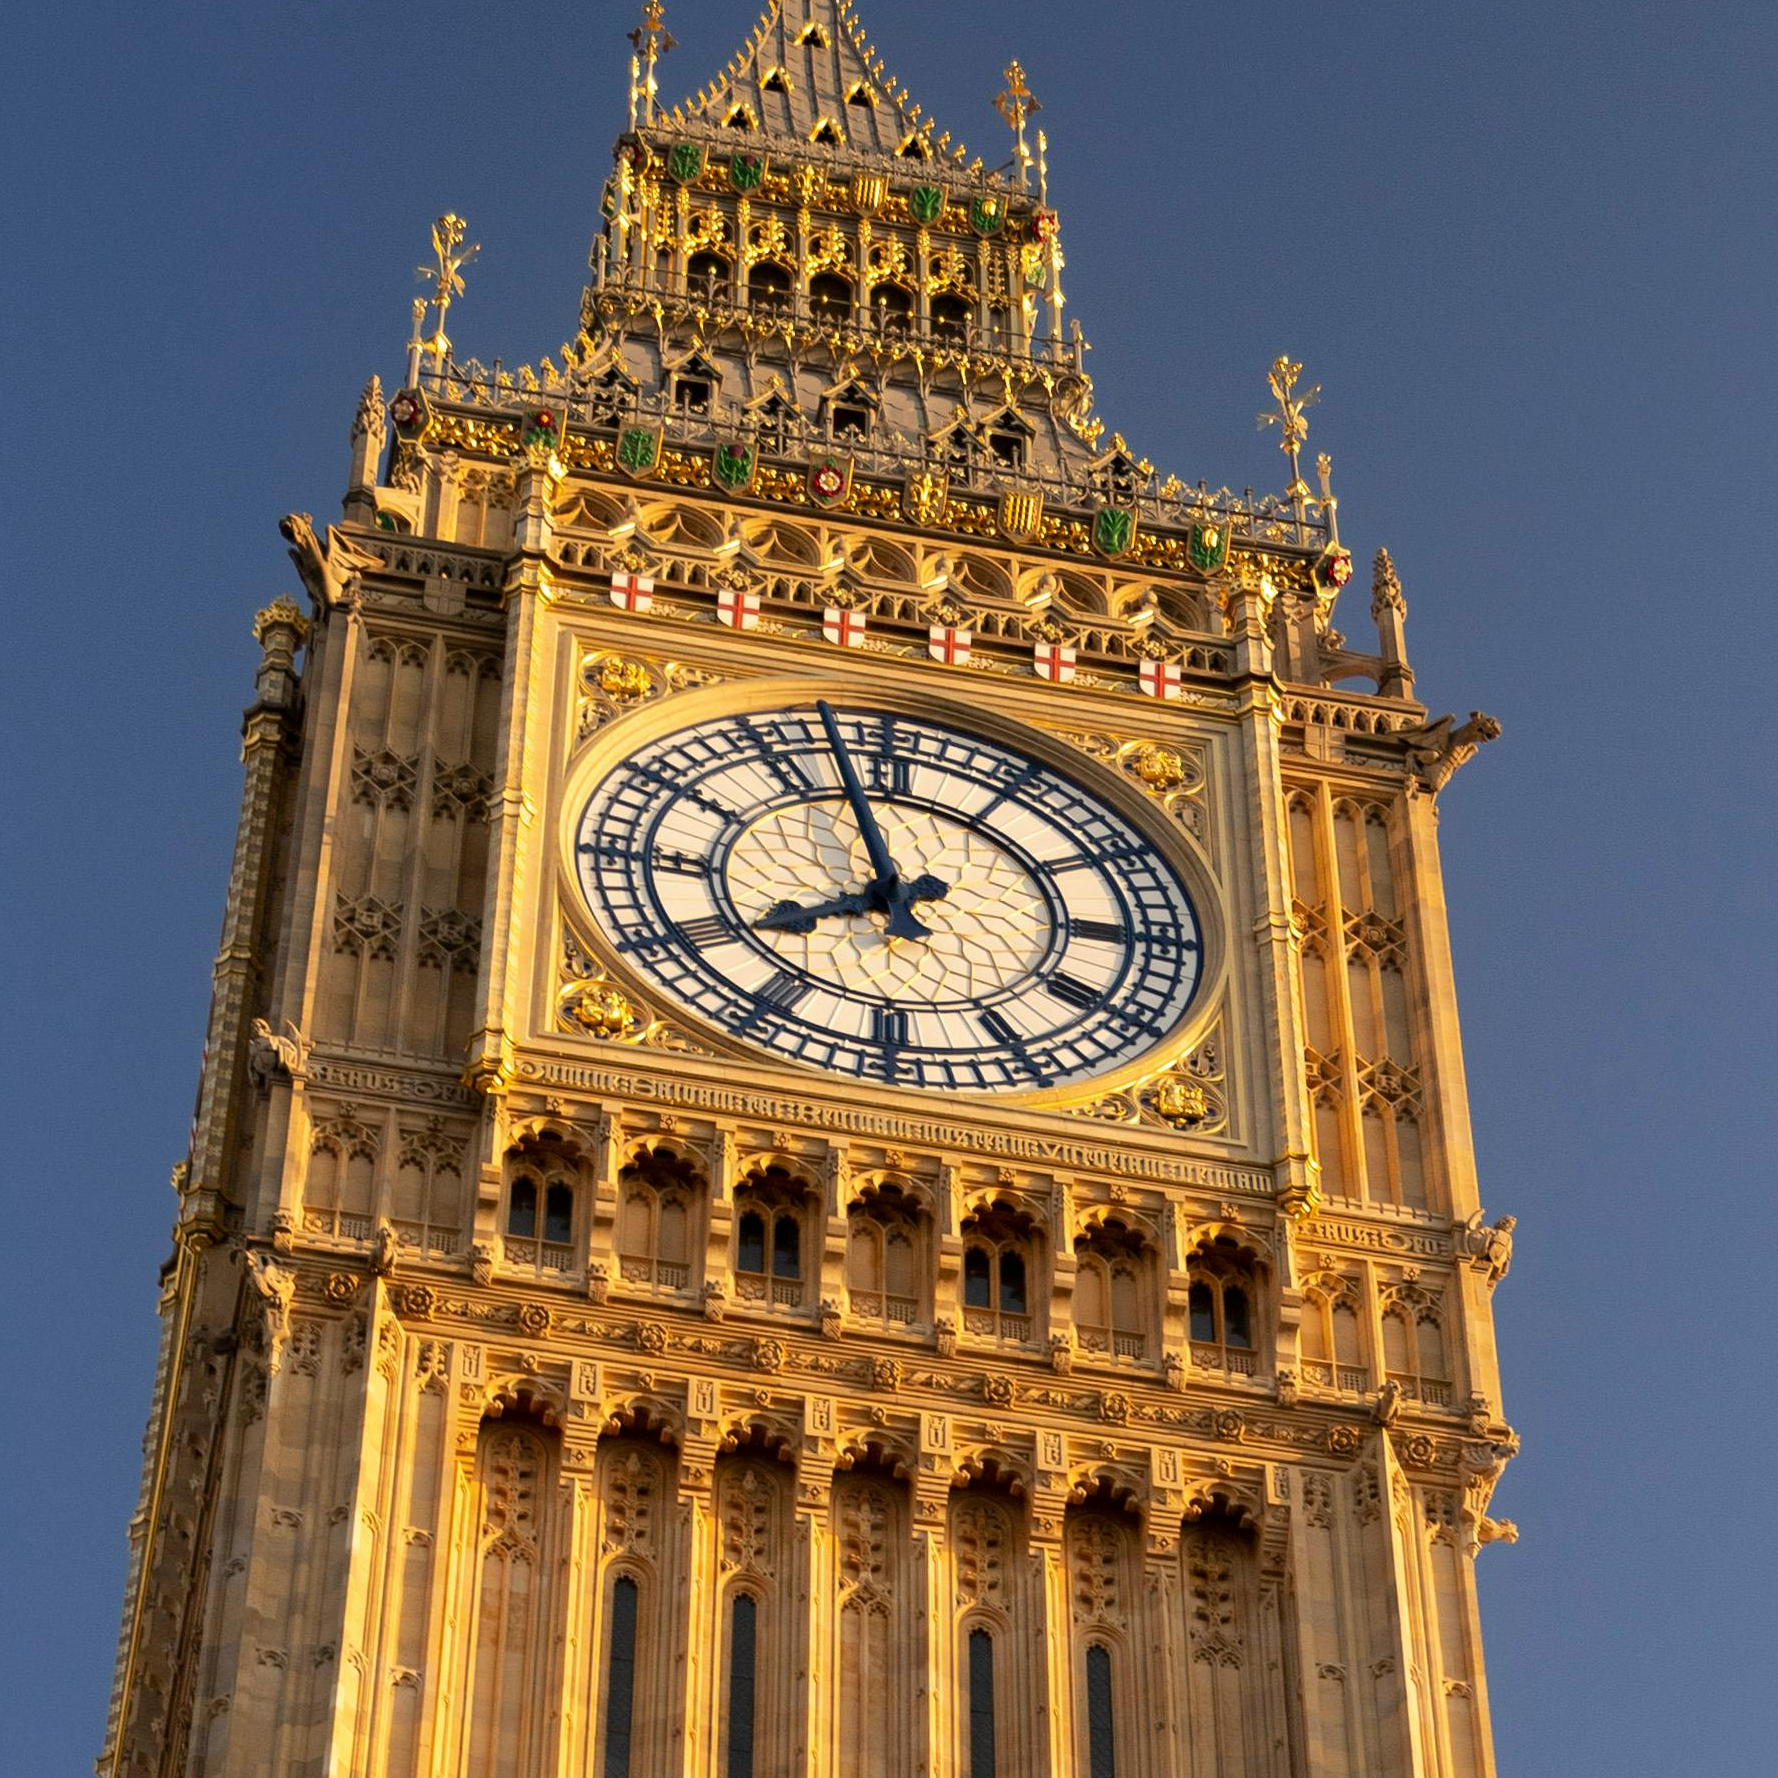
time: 7:57
